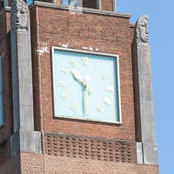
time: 10:30
